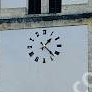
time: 1:22
